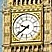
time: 9:39
